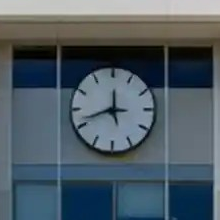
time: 11:41
